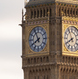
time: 7:55
